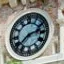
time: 2:38
